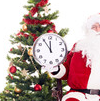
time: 11:54
